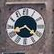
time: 8:21
